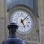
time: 5:07
